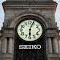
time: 6:03
